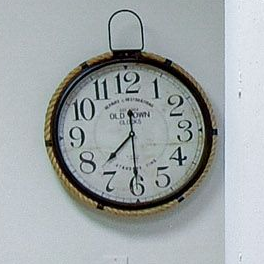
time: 7:30
